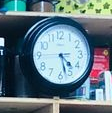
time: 4:27
